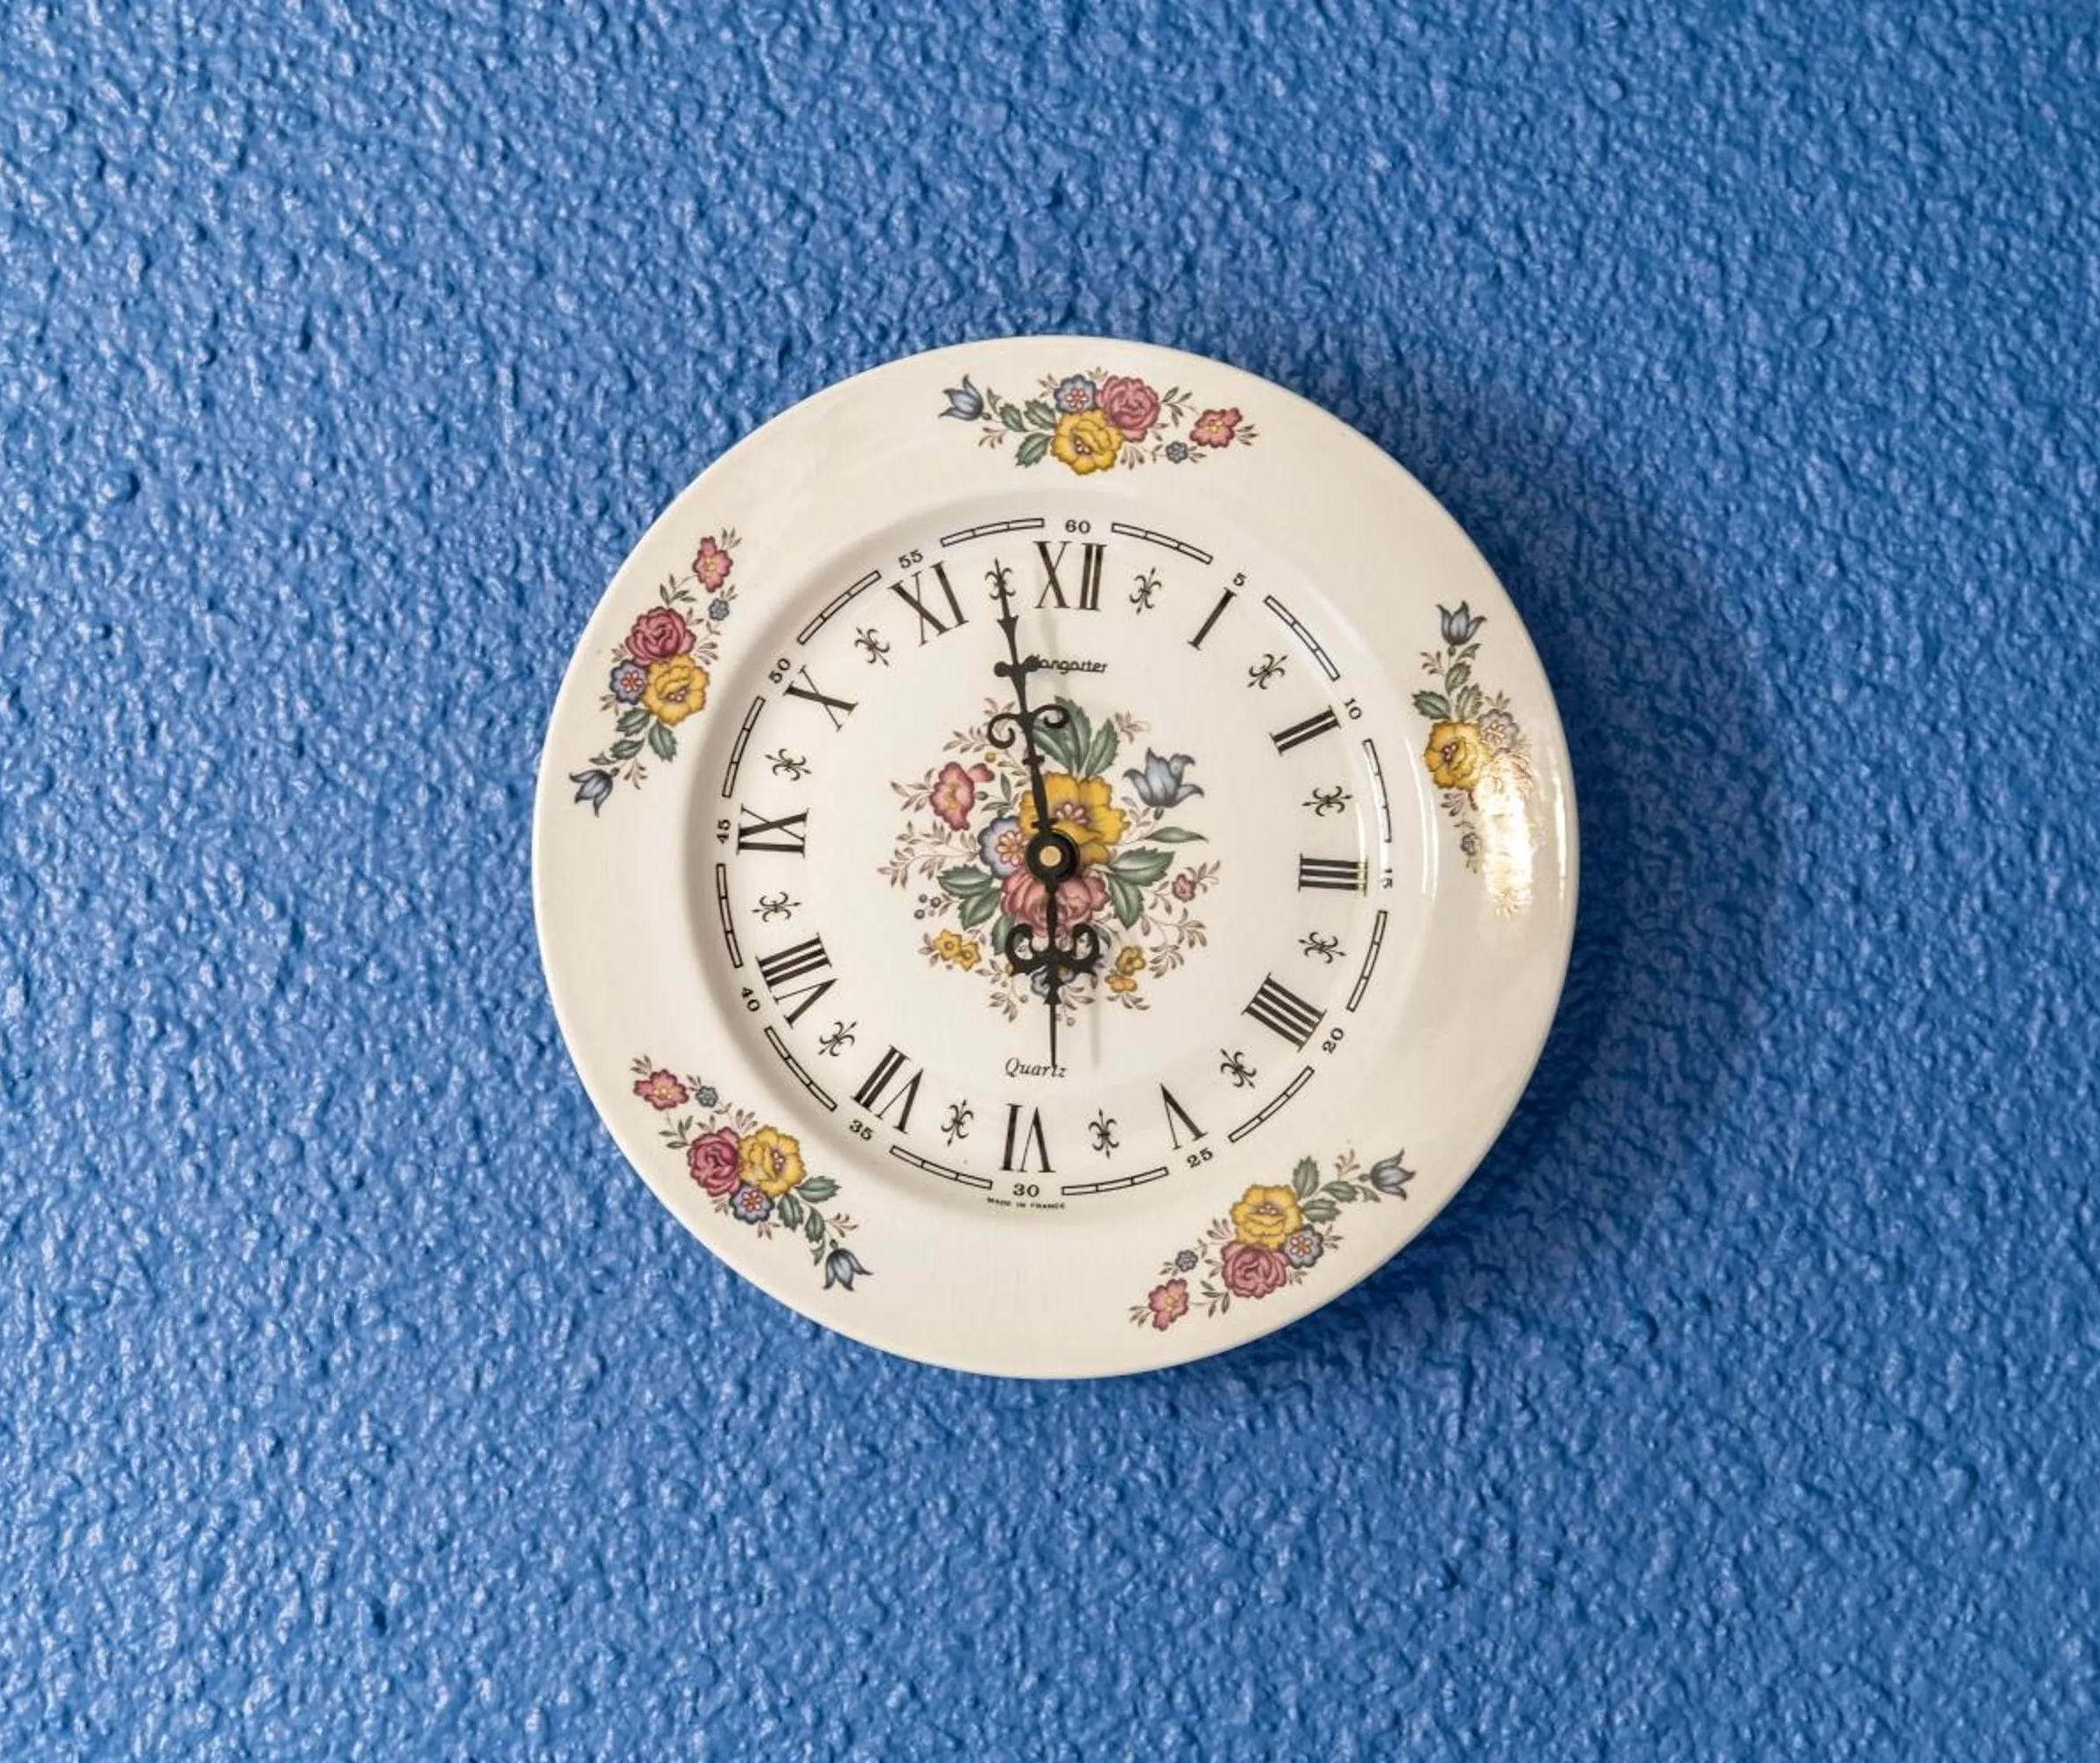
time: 5:57
